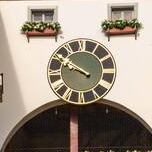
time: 9:50
